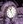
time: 11:25
